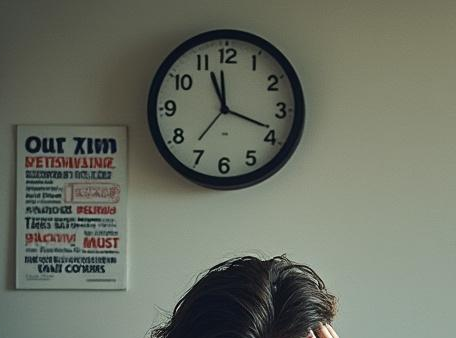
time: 11:18
